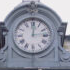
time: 12:13
